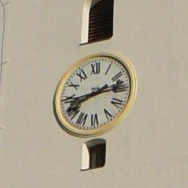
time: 2:42
